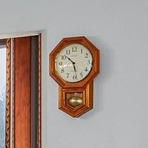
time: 10:28
